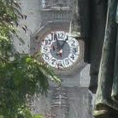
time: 12:57
